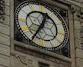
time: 12:34
